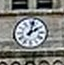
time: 2:02
